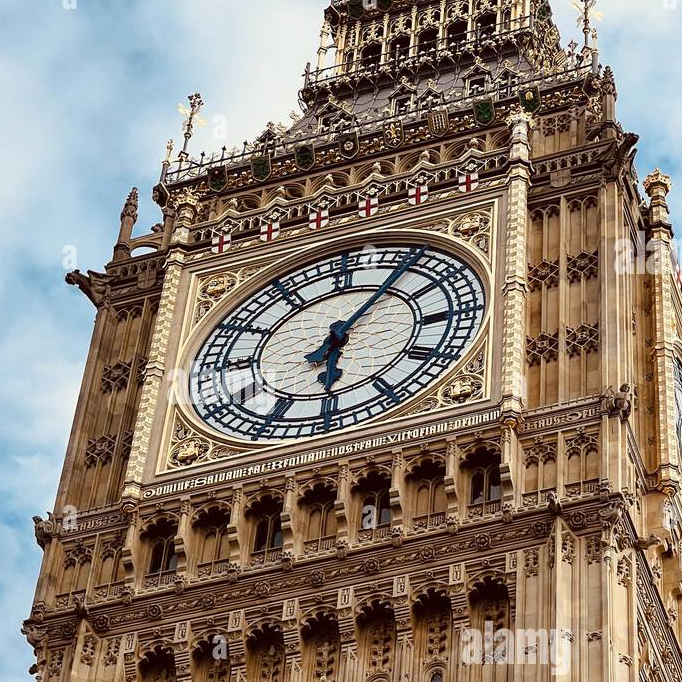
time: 6:06
